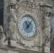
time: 11:05
